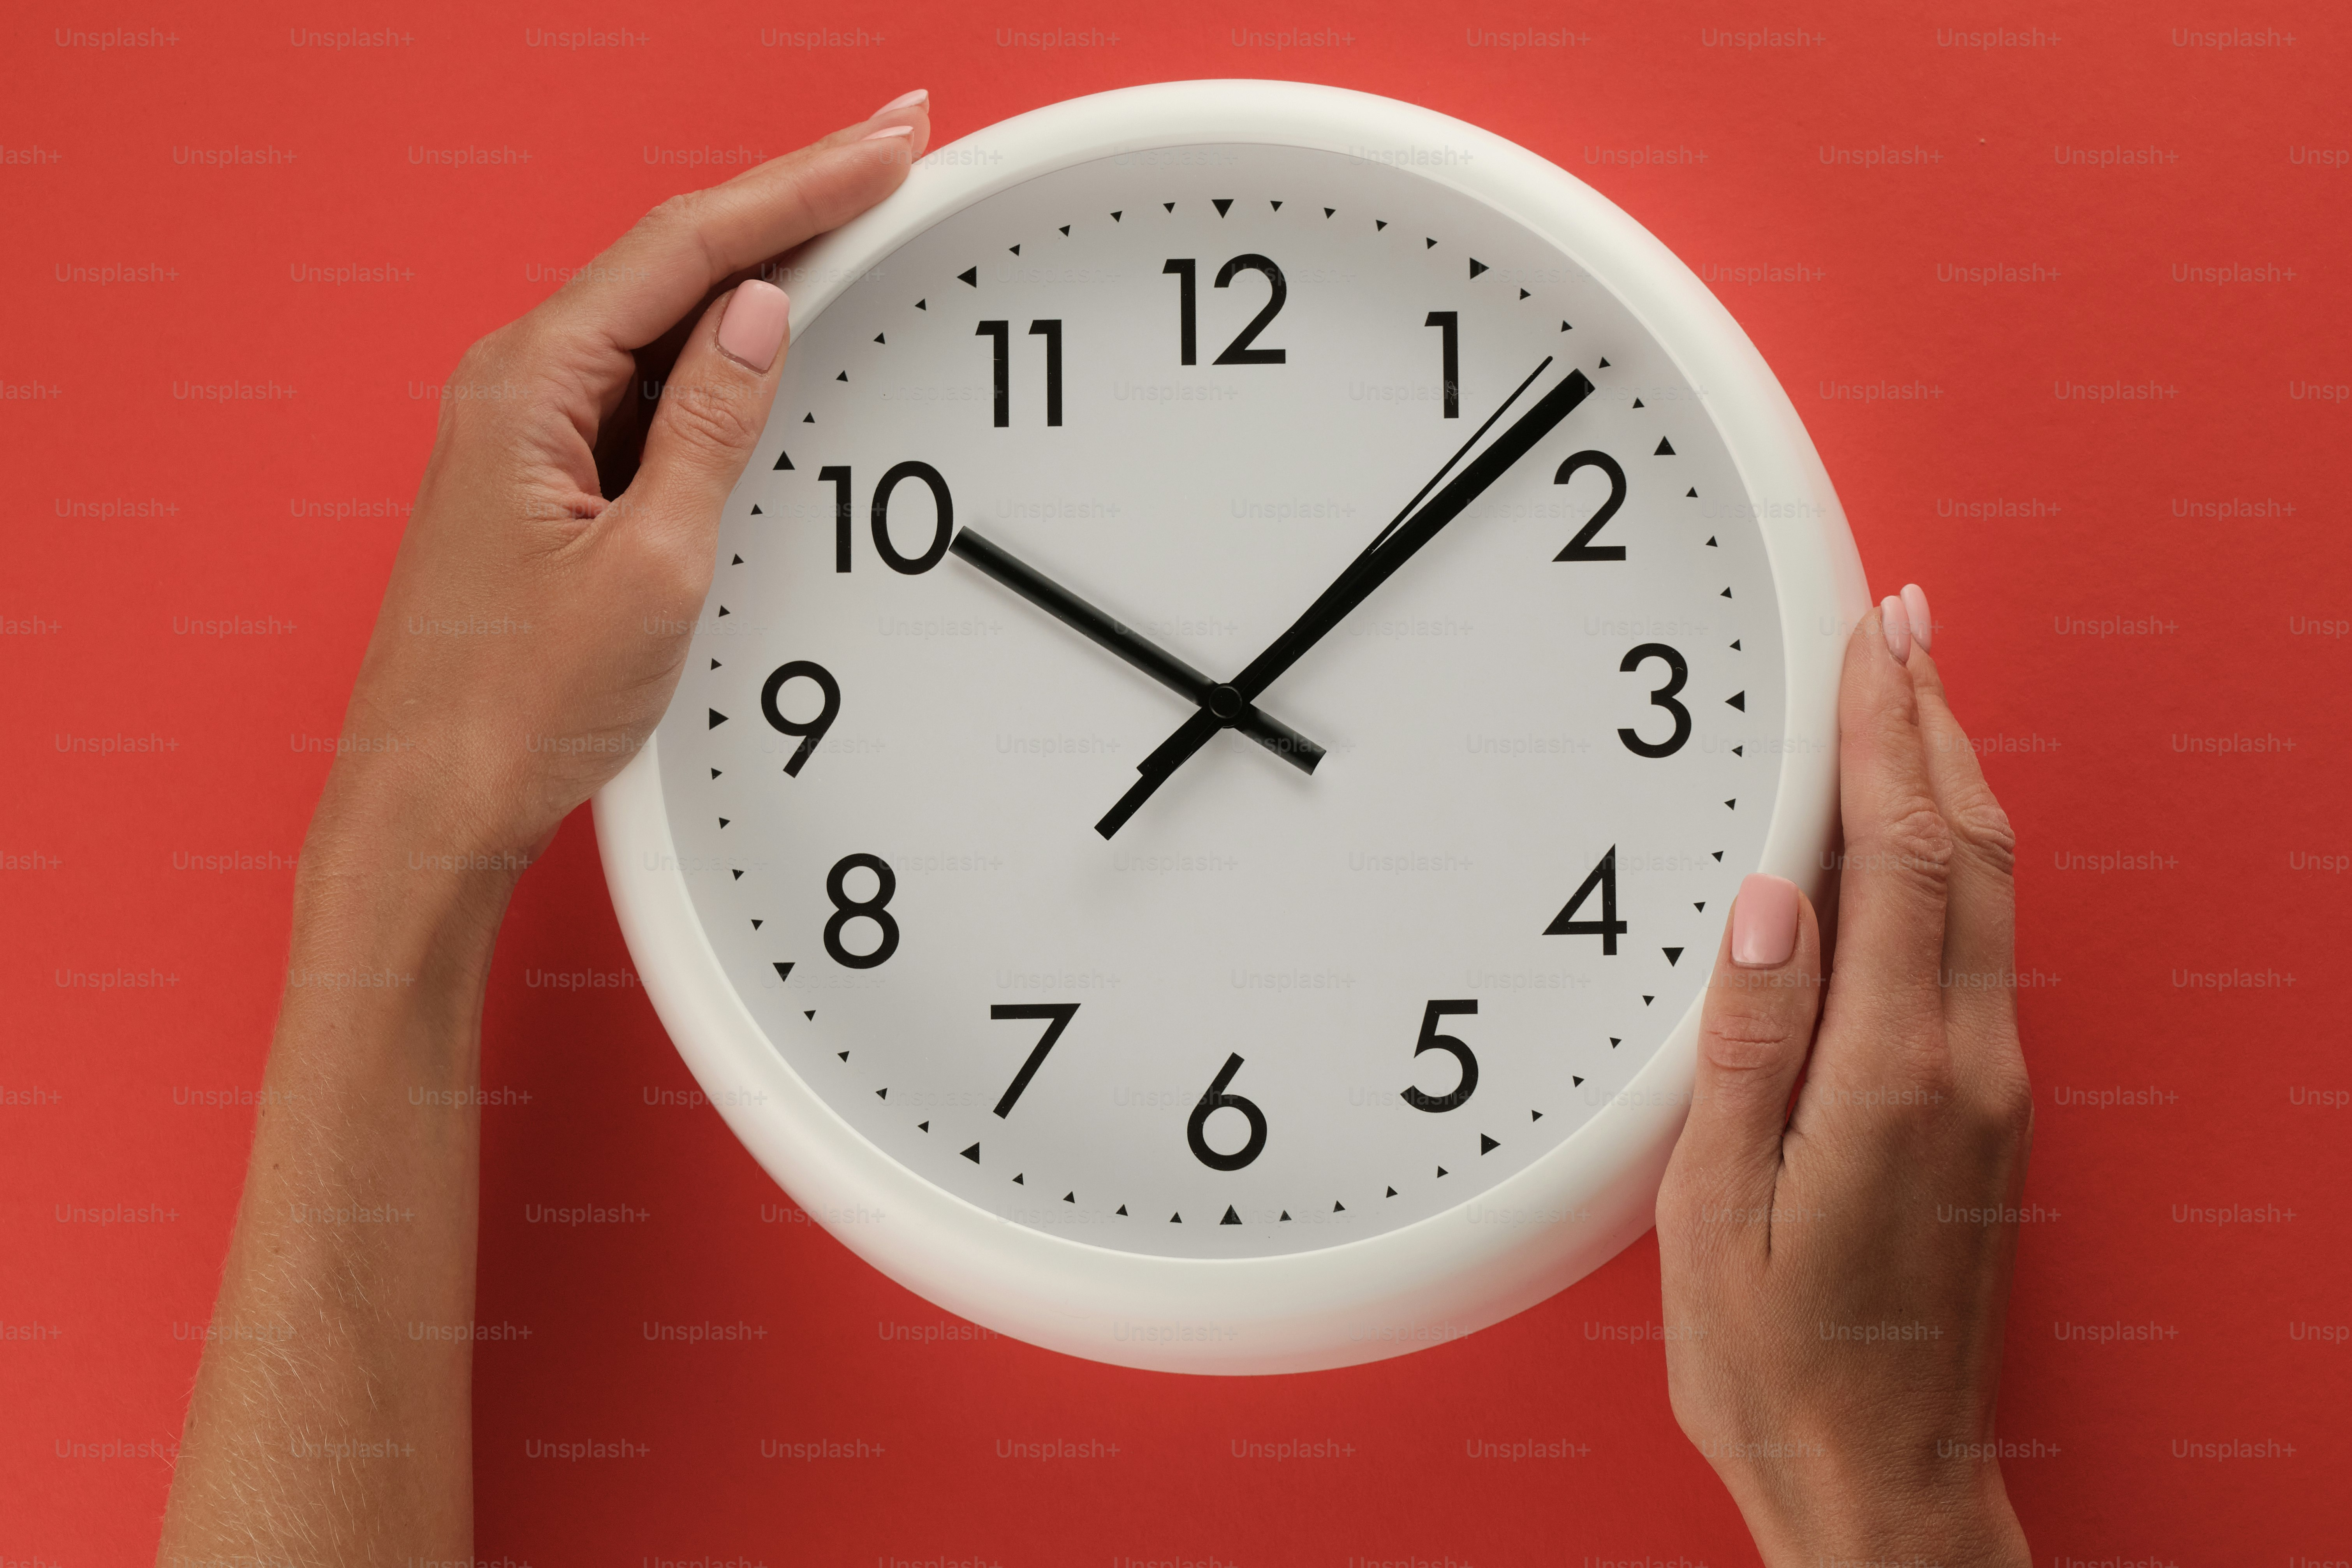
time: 10:07
